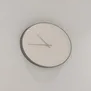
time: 10:43
